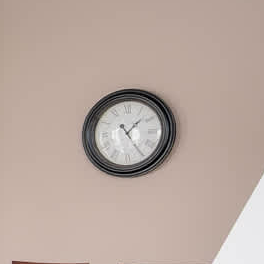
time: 1:24
